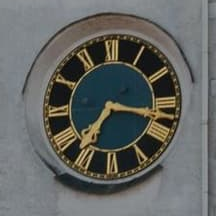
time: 7:17
